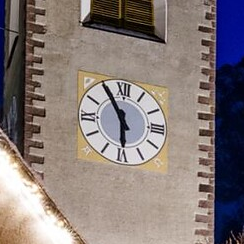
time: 5:54
